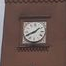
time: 1:41
